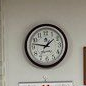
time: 1:47
